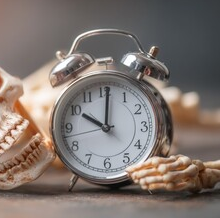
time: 10:00
